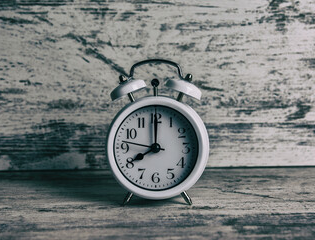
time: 8:00
